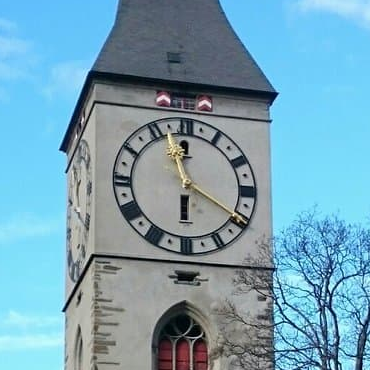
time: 5:57
